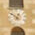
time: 12:52
